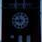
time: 8:57
